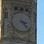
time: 3:23
